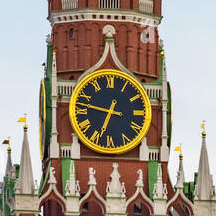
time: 6:46
